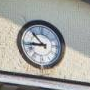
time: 8:53
